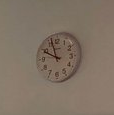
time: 9:56
